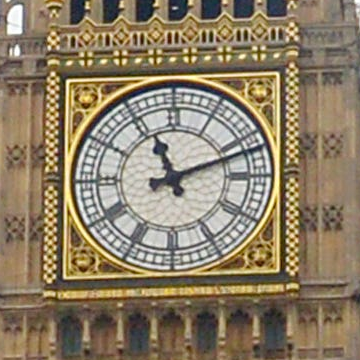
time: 11:11
